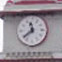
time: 11:38
